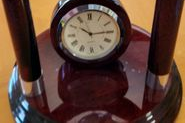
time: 10:14
